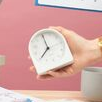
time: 6:56
